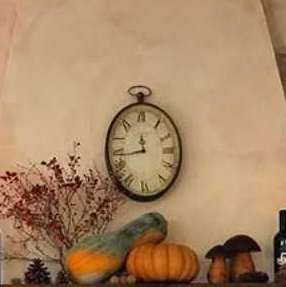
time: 11:43
